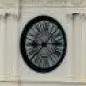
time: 9:14
